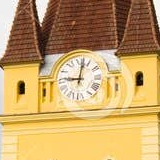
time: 9:01
